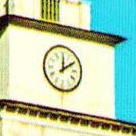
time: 12:09
